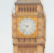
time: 9:36
